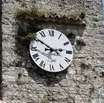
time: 2:50
